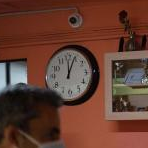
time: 12:04
